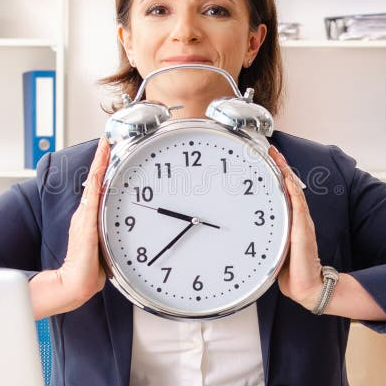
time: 9:38
